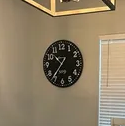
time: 10:36
